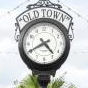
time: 4:40
